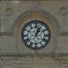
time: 1:02
